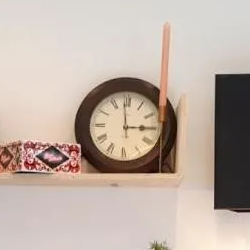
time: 2:59
